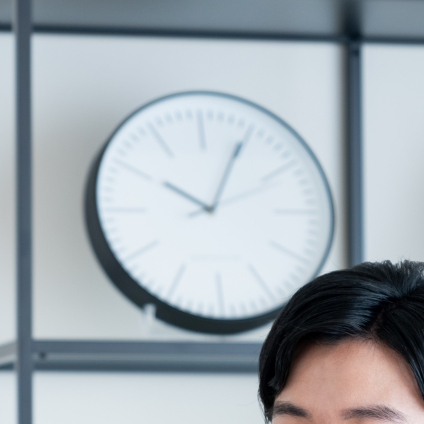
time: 10:04
